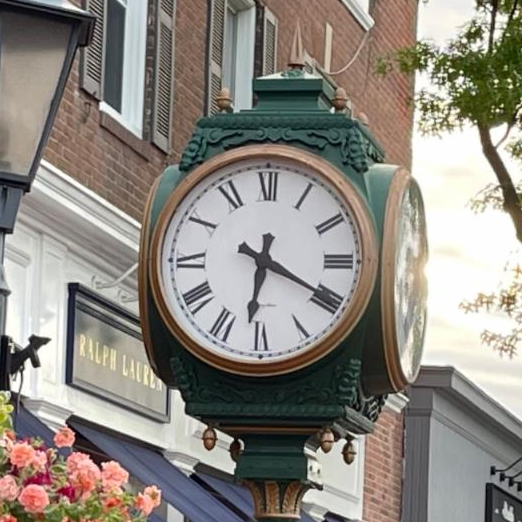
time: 6:19
